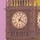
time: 4:04
